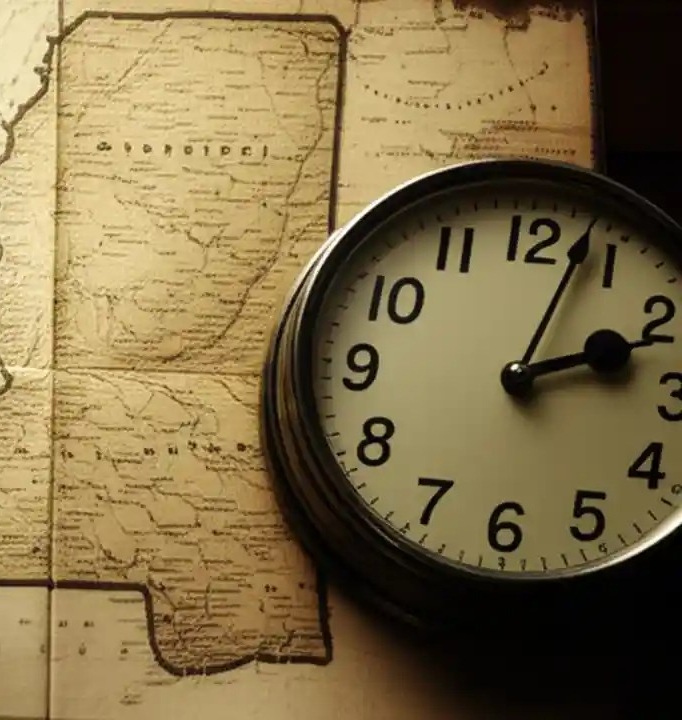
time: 2:03
